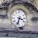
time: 3:33
